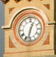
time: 12:32
